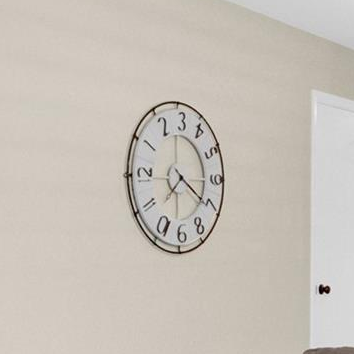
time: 7:20
